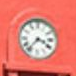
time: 3:36
